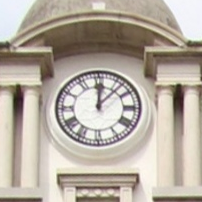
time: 12:07
